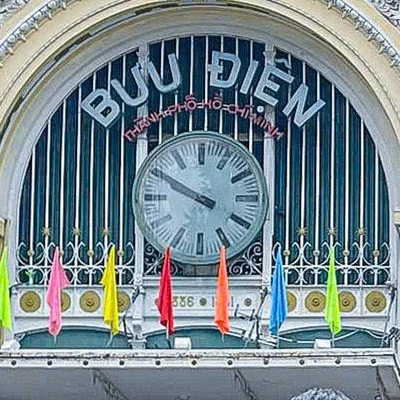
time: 9:49
